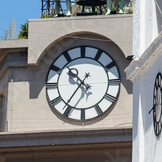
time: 10:36
